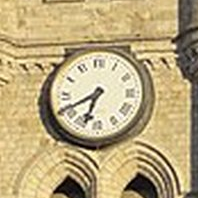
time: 6:40
